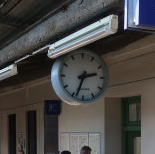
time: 2:33
